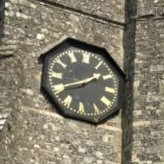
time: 1:40
